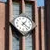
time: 1:21
